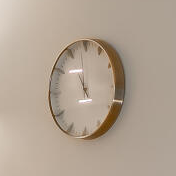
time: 10:58
